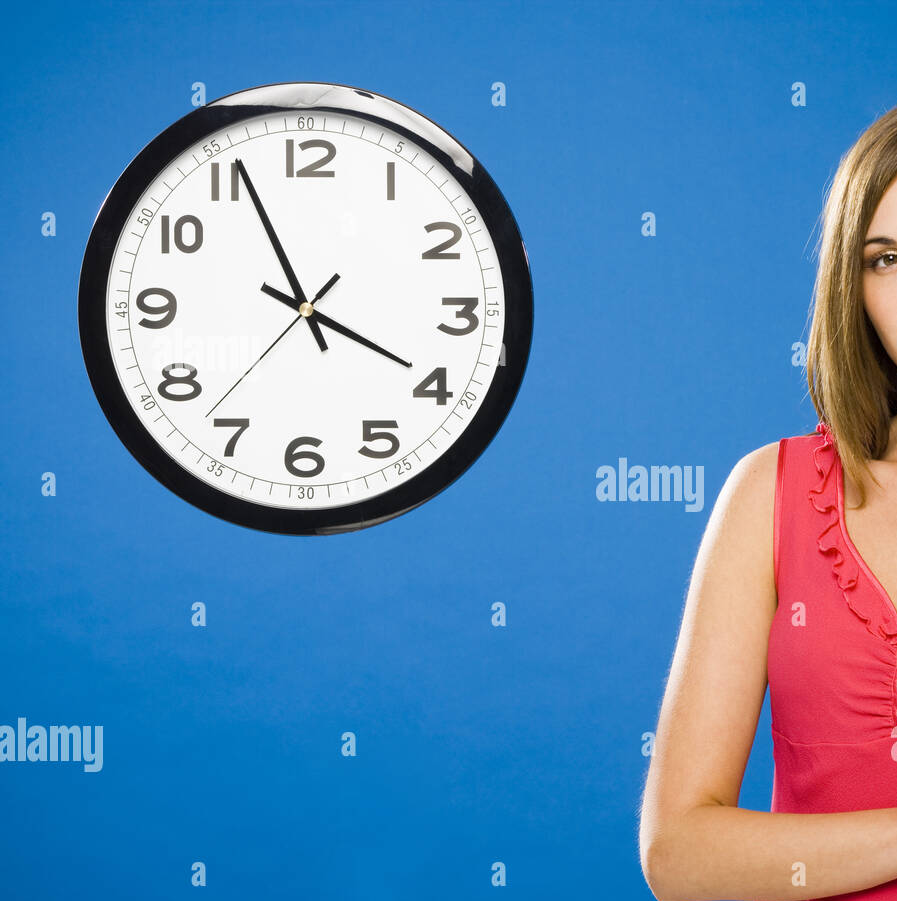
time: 3:55
